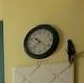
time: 10:38
